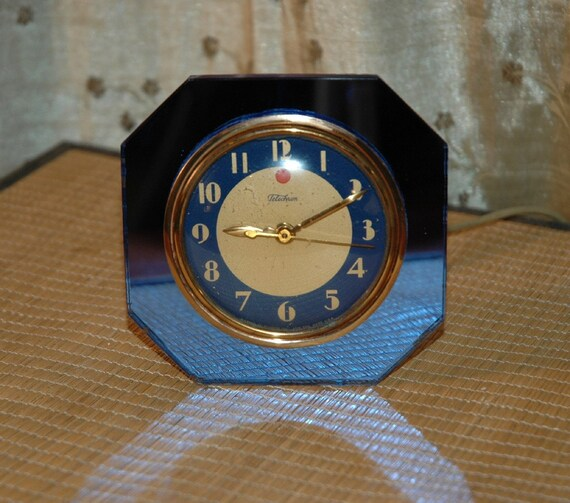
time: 9:10
